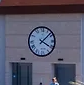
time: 4:07
